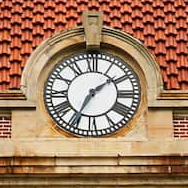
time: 1:34
